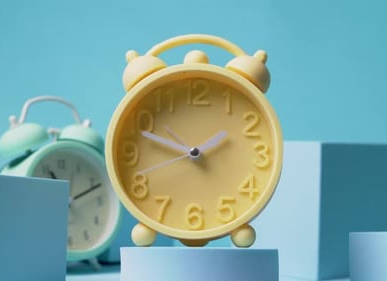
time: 1:48
